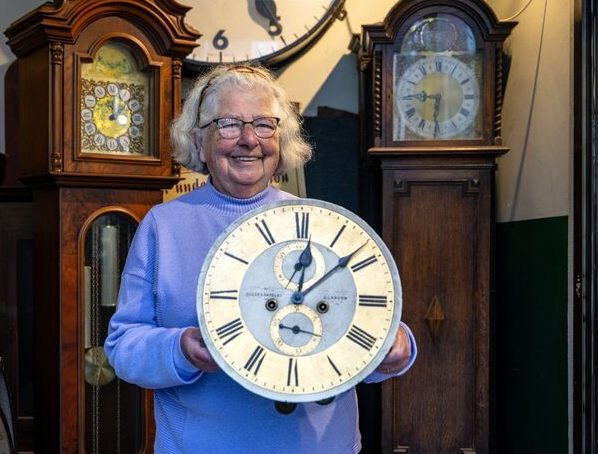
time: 12:08
